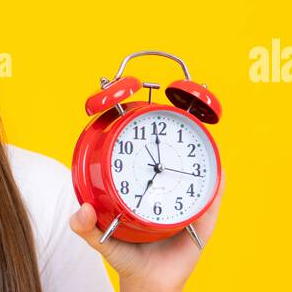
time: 6:59
